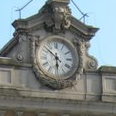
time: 5:51
